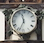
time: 11:33
